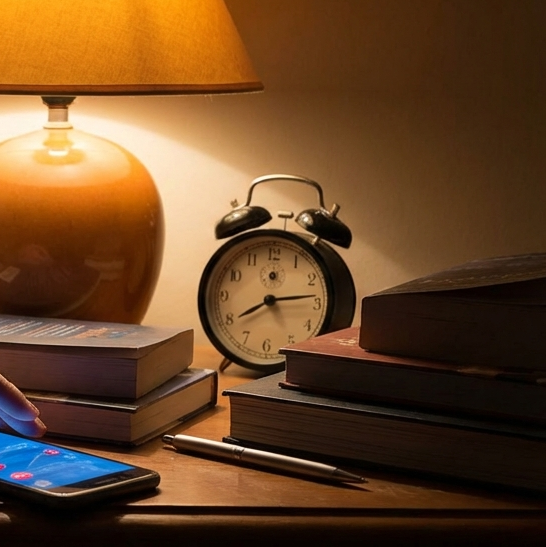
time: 8:14
